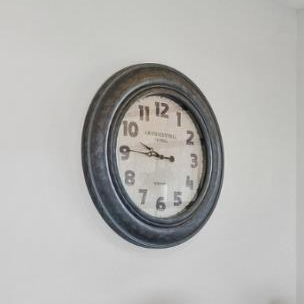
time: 9:45
